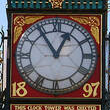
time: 12:54
